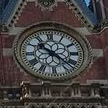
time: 10:21
